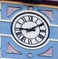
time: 9:09
